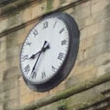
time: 8:36
